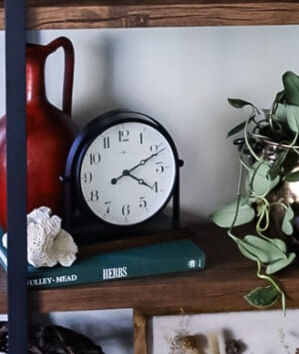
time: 4:10
